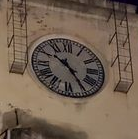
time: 10:24
